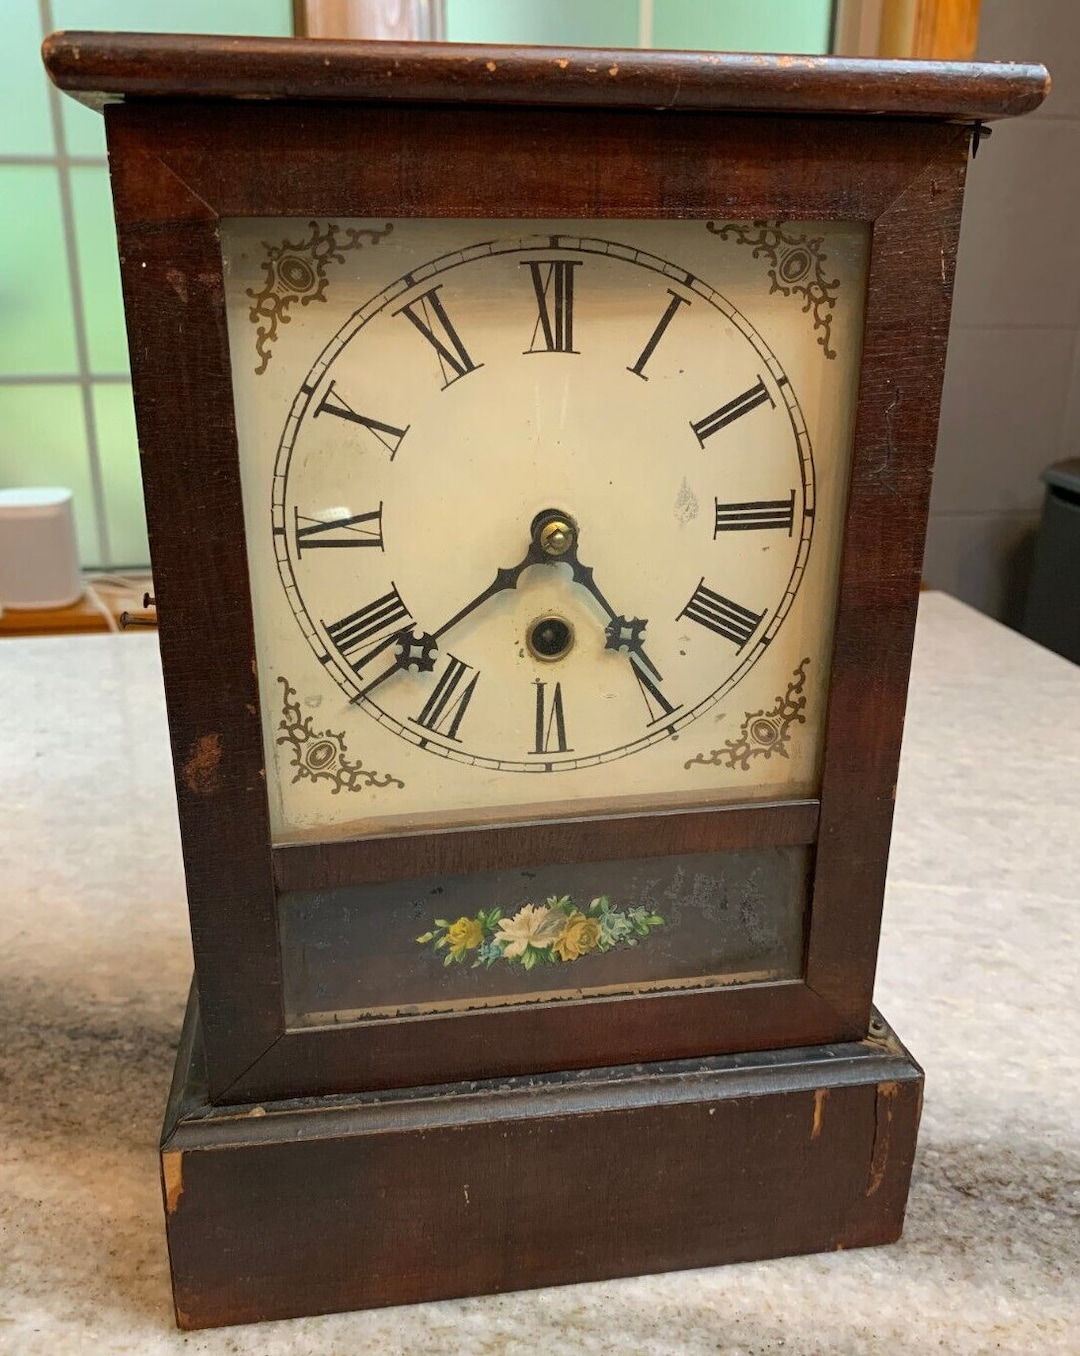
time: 4:38
